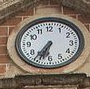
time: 6:36
